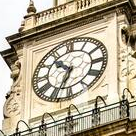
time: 10:34
